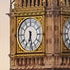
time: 6:28
